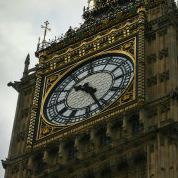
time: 10:26
